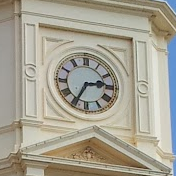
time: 2:35
